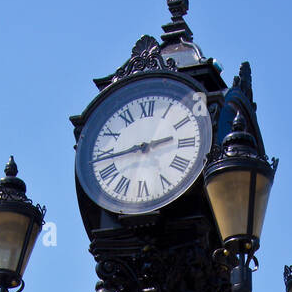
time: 2:43
